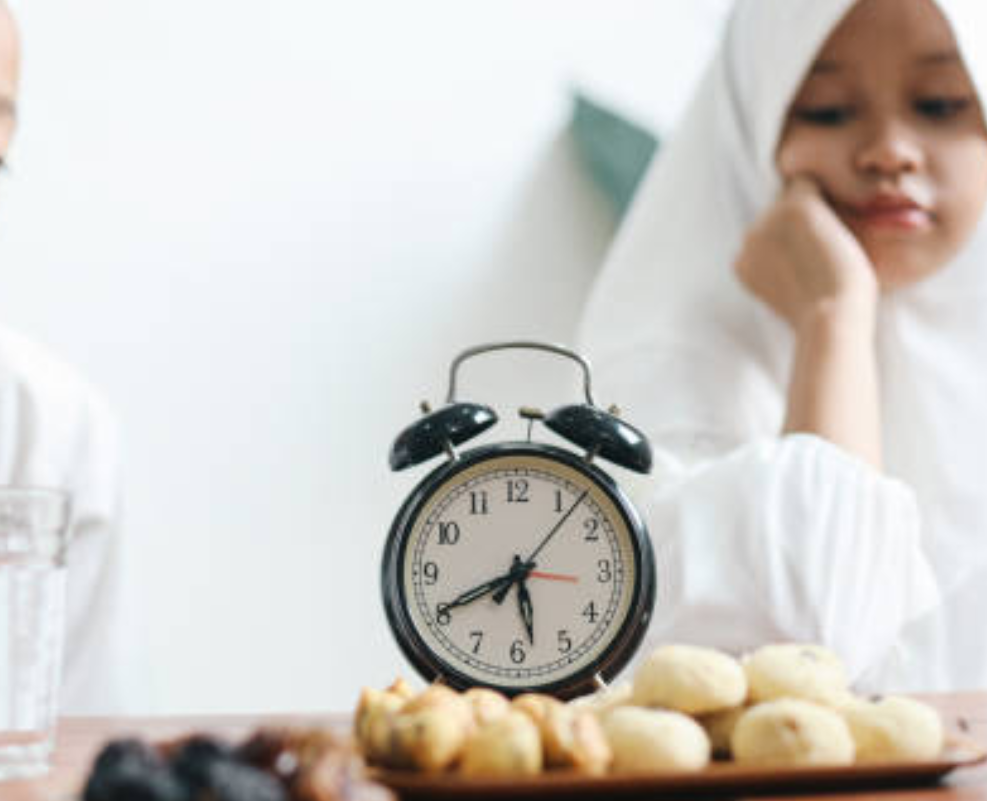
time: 5:40
